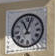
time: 11:03
